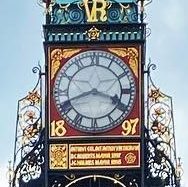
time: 3:41
